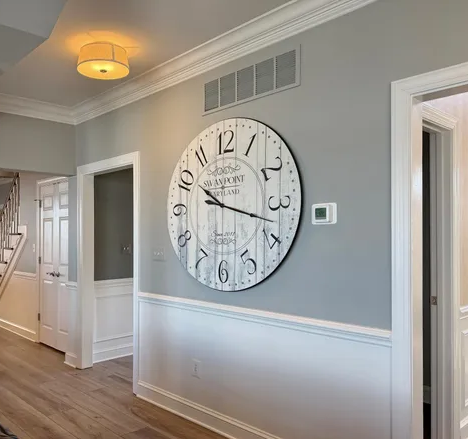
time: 10:17
